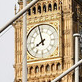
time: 7:57
